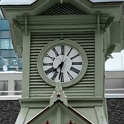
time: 7:32
